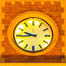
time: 9:44
